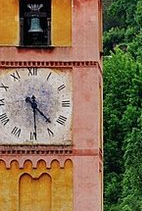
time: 4:29
